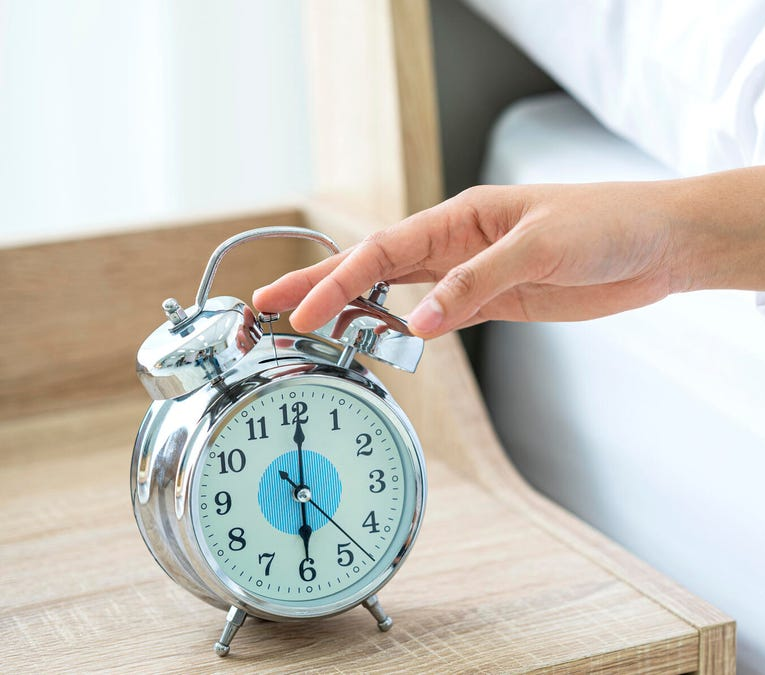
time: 6:00
